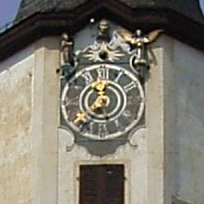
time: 12:37
